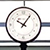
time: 10:06
